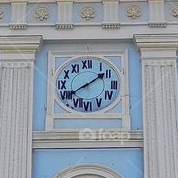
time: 1:39
